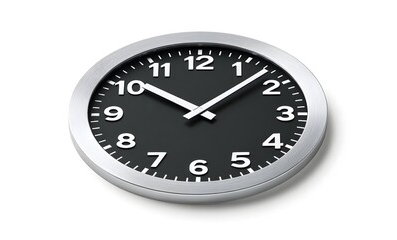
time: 10:07
